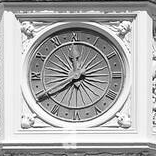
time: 2:39
